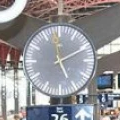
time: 5:10
